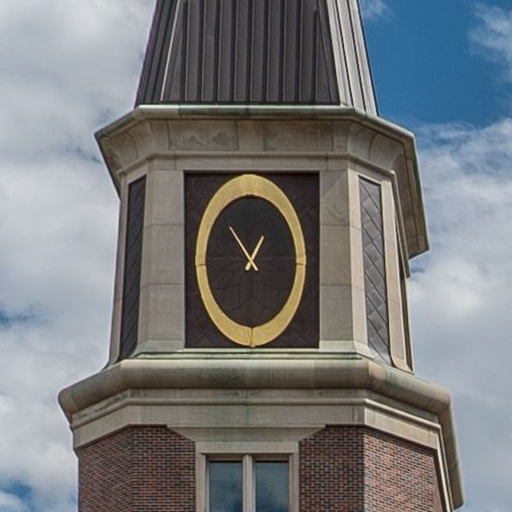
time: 12:52
